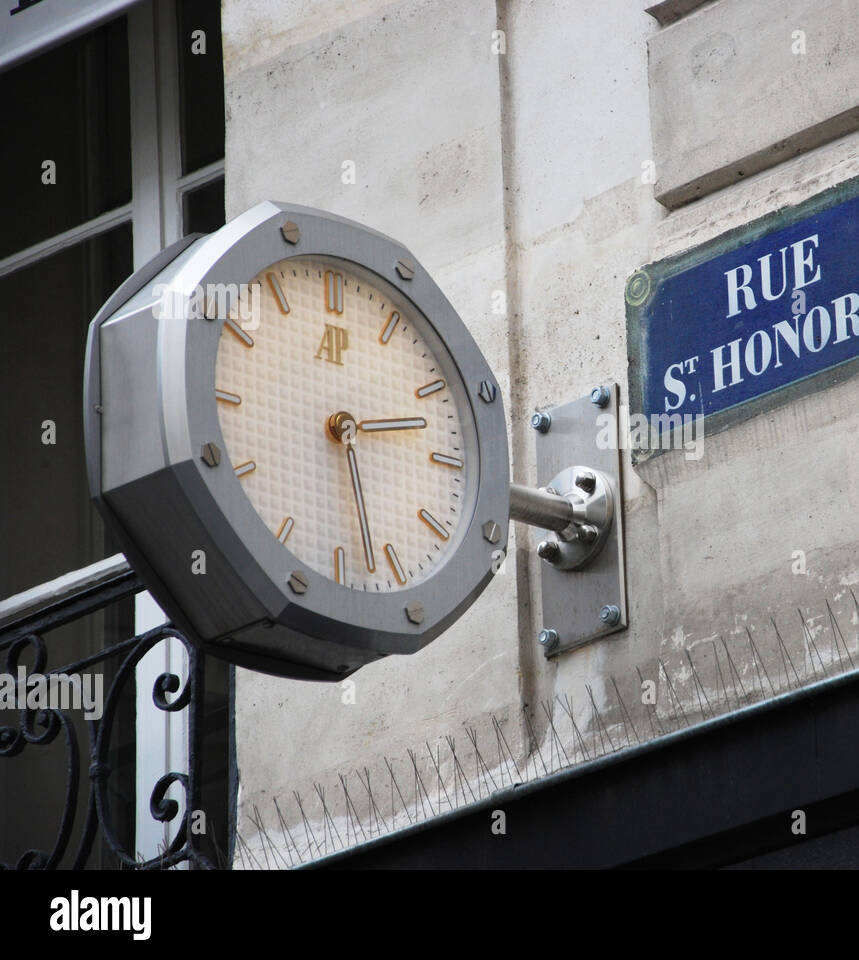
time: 2:27
